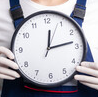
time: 12:13
